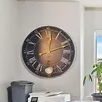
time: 12:12
